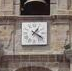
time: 1:21
